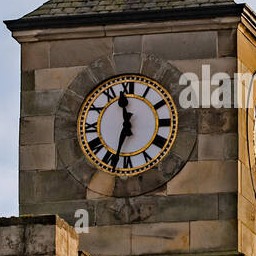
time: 11:32
